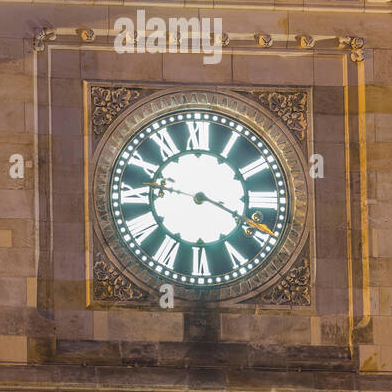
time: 3:47
